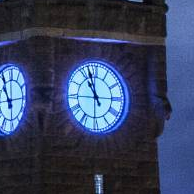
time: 10:57
